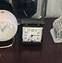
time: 7:14
